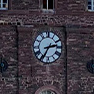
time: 2:35
